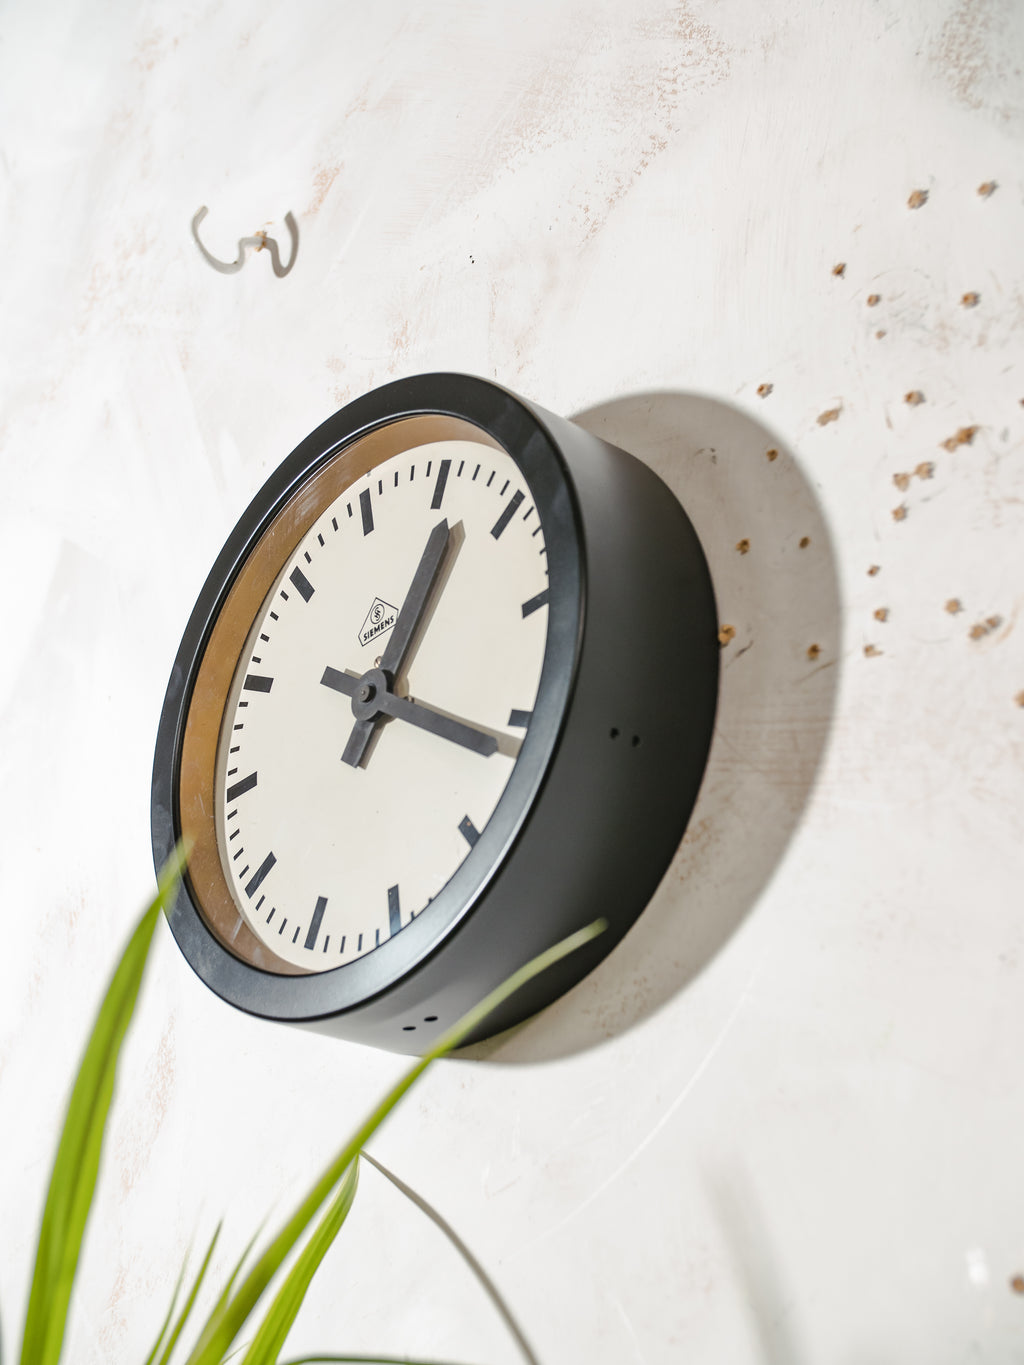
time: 12:16
